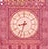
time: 8:32
